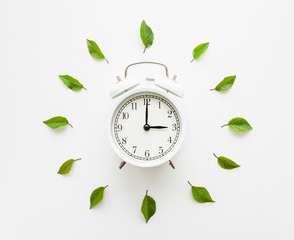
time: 3:00
